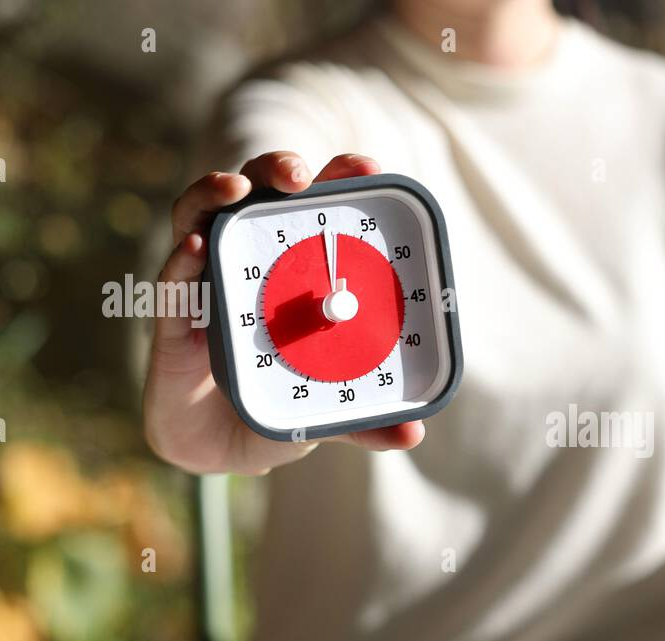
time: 12:00
